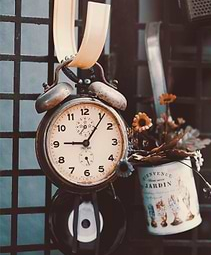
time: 9:06
